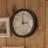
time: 2:59
